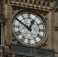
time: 12:50
